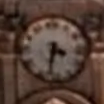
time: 3:32
